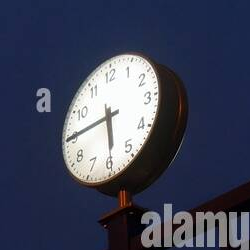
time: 5:45
